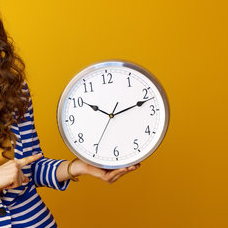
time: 10:12
